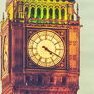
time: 4:19
